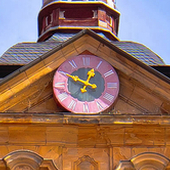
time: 12:49
